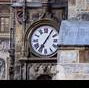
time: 7:06
